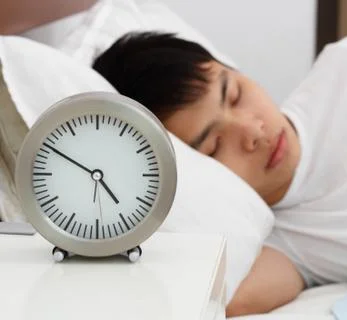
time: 4:50
